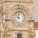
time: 11:52
